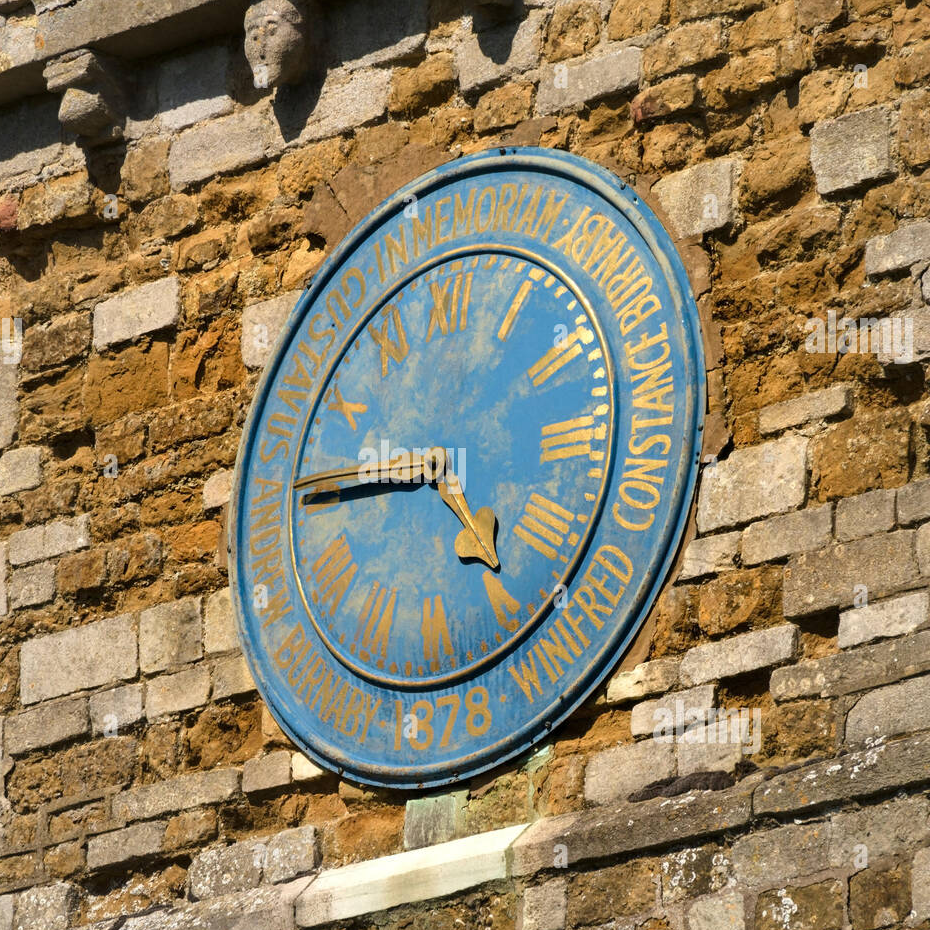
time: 4:44
